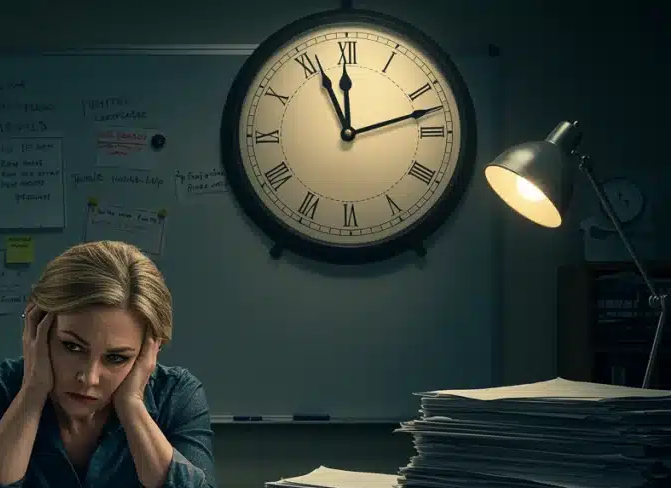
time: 11:12
